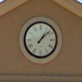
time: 1:07
